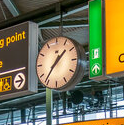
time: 1:36
